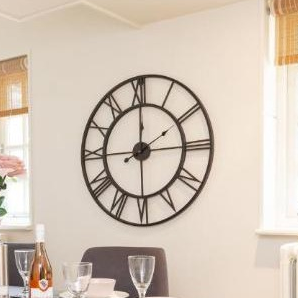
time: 2:00
